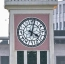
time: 4:02
